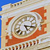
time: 5:18
